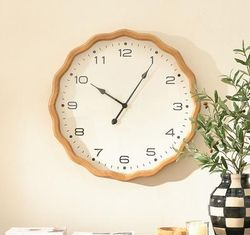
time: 10:05
